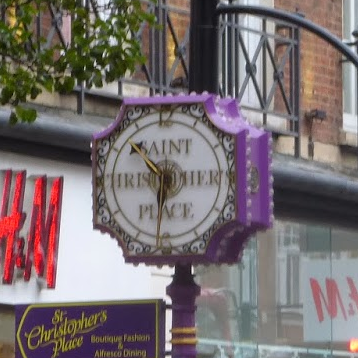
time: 10:31
